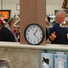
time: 1:22
